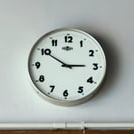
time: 2:50
